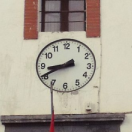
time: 8:40
